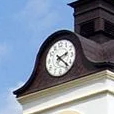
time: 2:22
